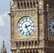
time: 2:26
